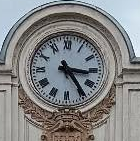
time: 3:24
